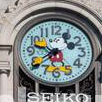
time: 9:39
